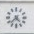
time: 4:37
